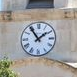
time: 1:54
